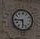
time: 5:44
